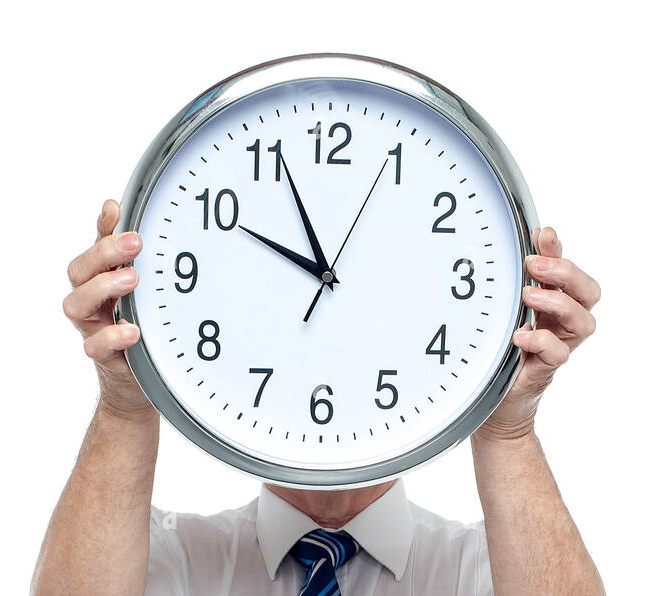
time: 9:56
